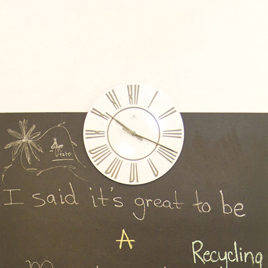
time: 10:18
